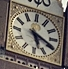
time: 5:18
